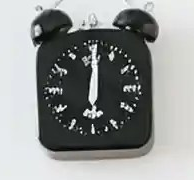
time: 6:00
